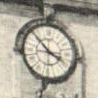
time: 3:52
